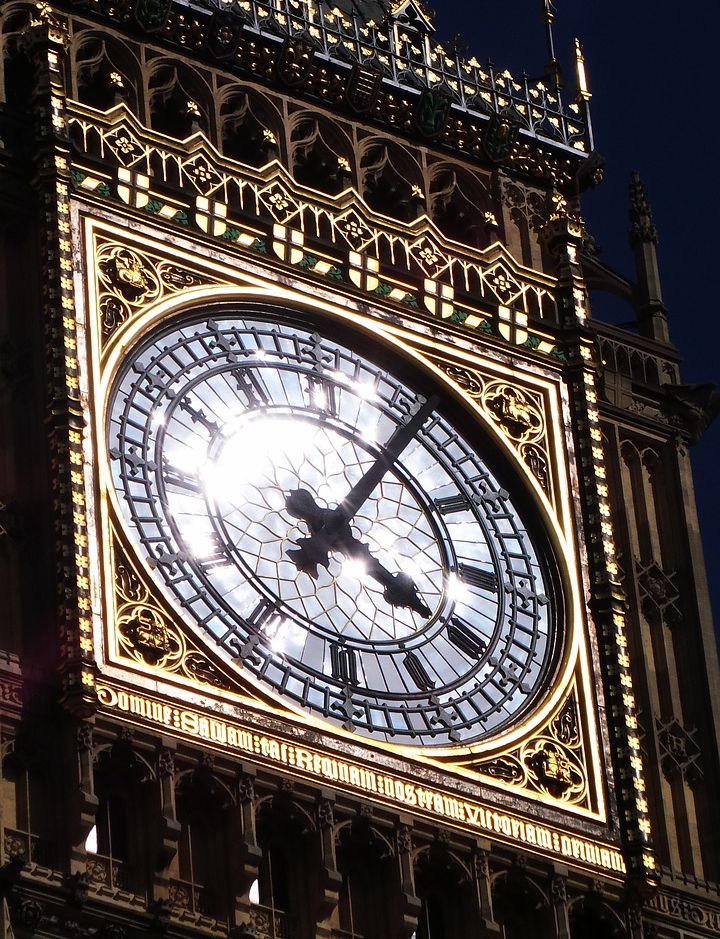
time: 4:04
